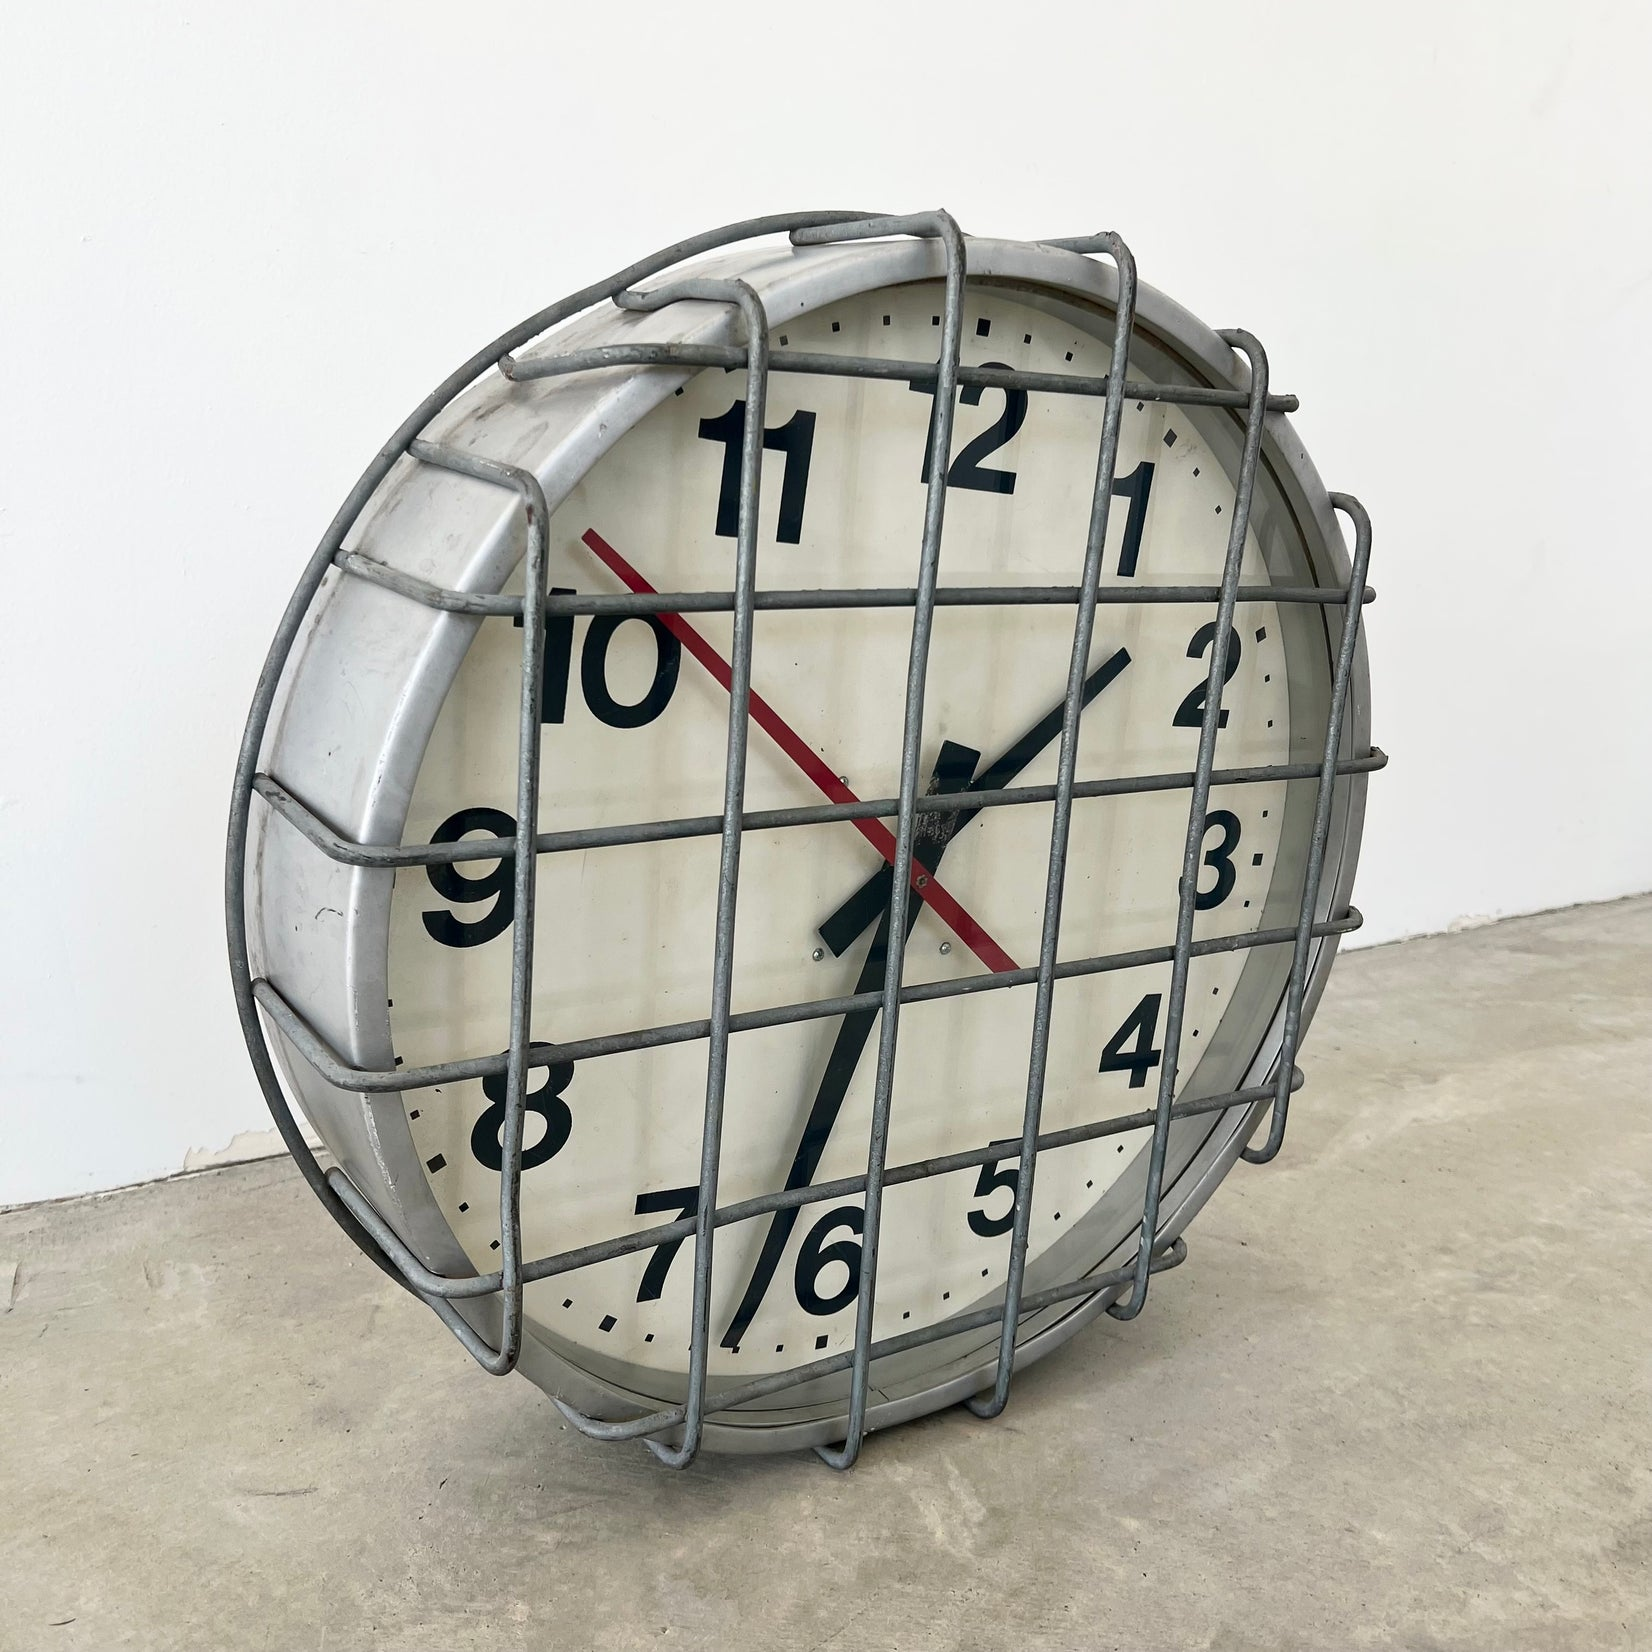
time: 1:32
